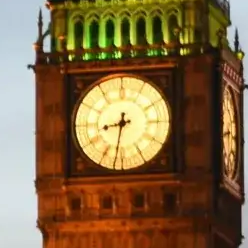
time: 8:31
